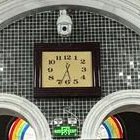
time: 5:33
